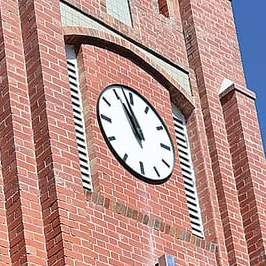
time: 10:57
